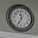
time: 11:34
